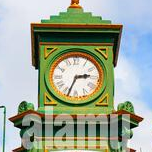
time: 2:34
